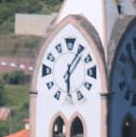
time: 6:06
